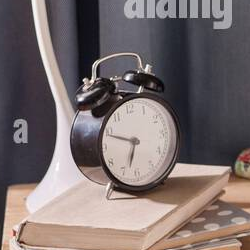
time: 6:48
